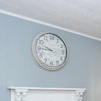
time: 9:45
